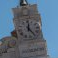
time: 12:23
